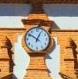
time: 12:51
